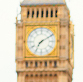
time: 7:09
